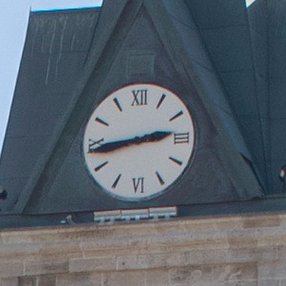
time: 2:43
